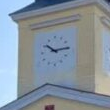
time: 10:14
